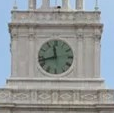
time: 11:42
